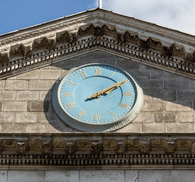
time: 8:09
